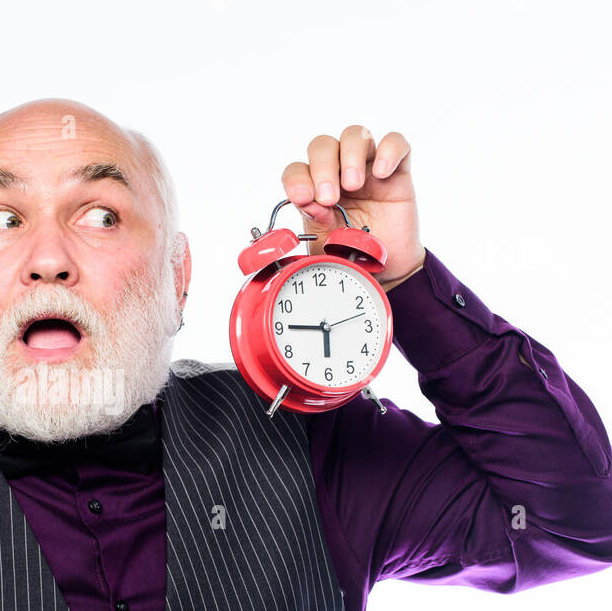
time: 5:45
